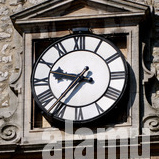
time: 9:36
